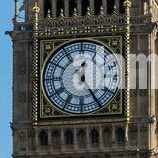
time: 12:24
